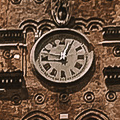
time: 12:47
